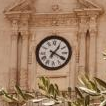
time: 1:19
